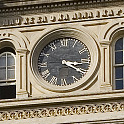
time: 3:20
